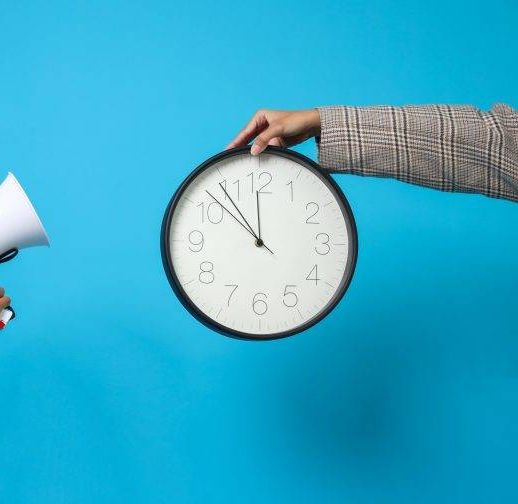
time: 11:53
